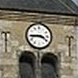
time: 3:44
